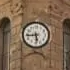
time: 5:43
